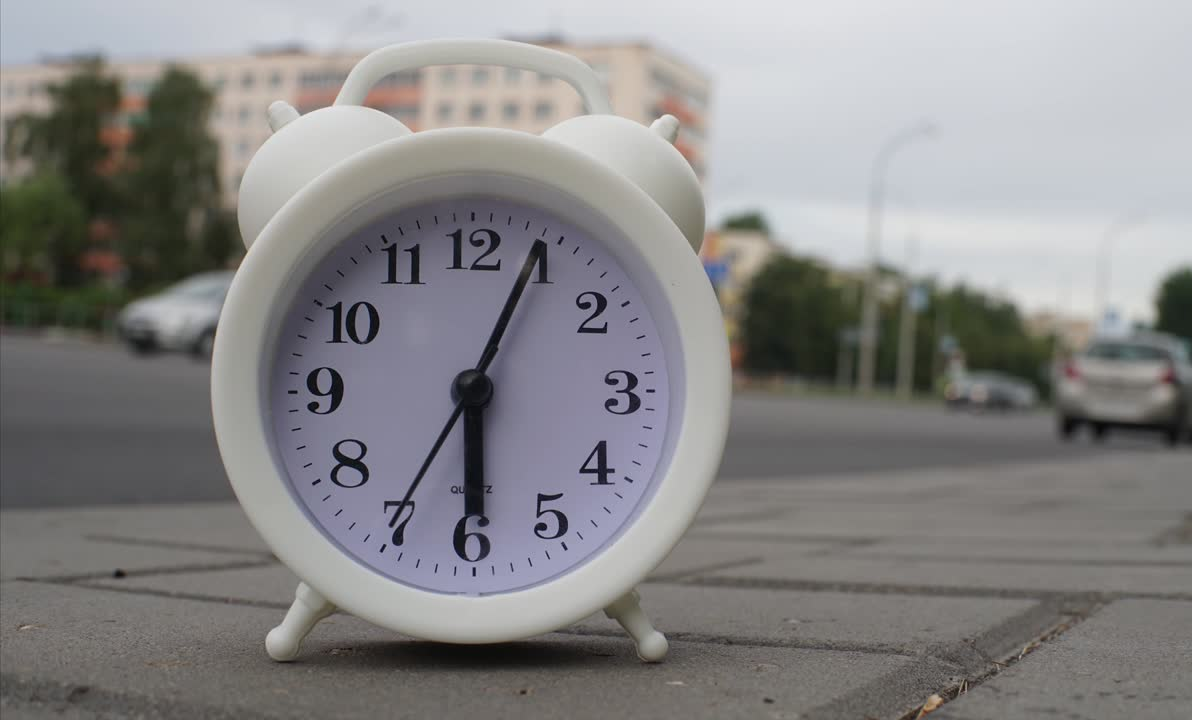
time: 6:04
